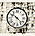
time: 10:22
